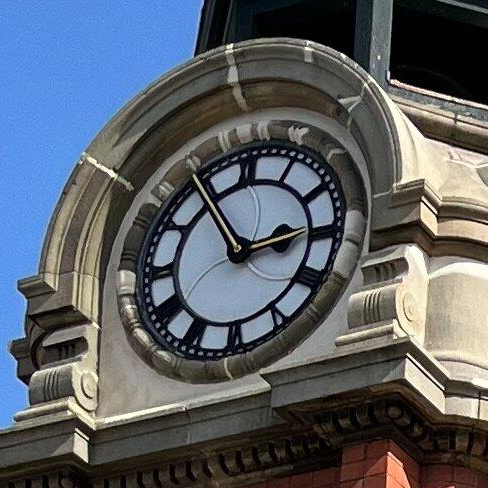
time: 2:54
